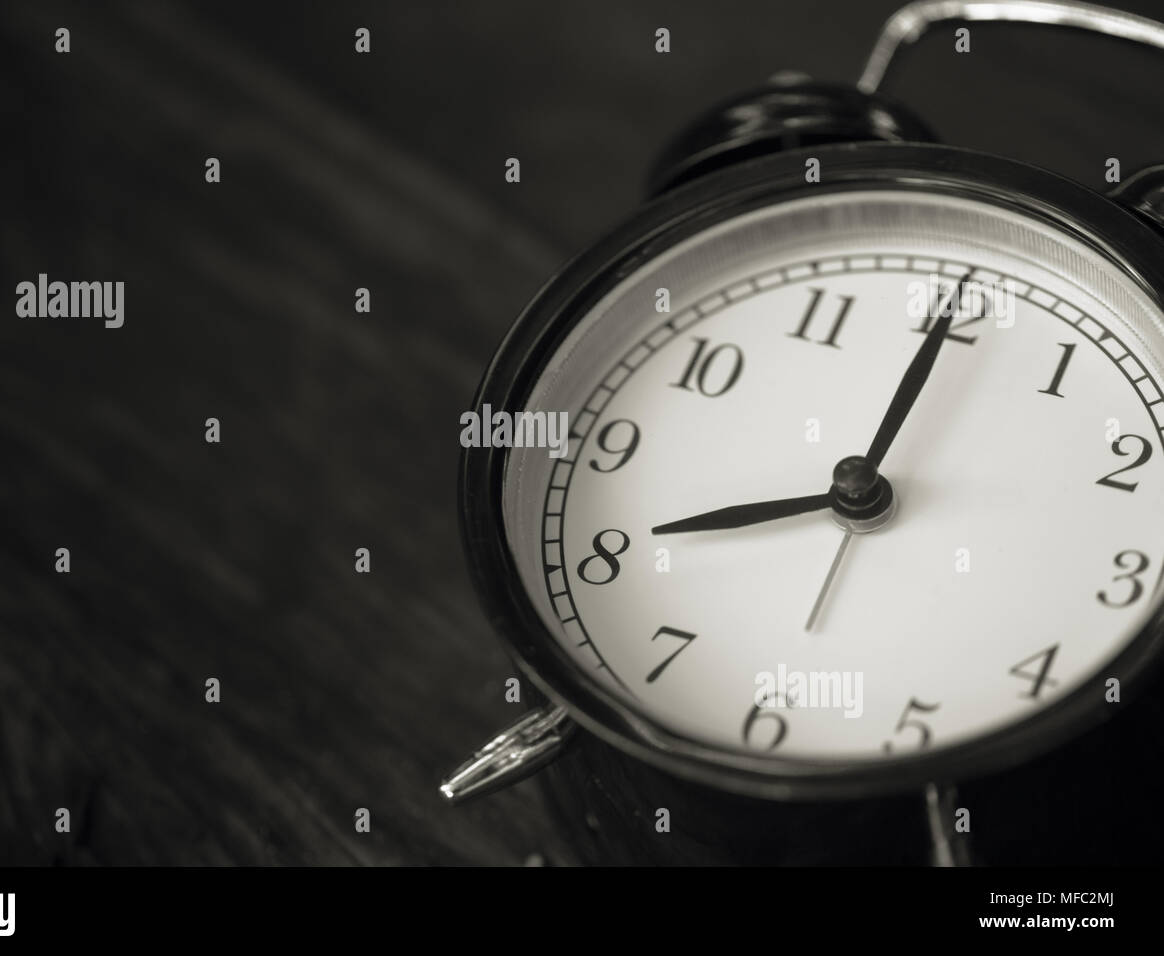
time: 8:00
